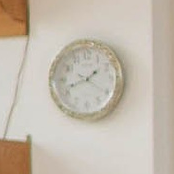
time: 1:41
